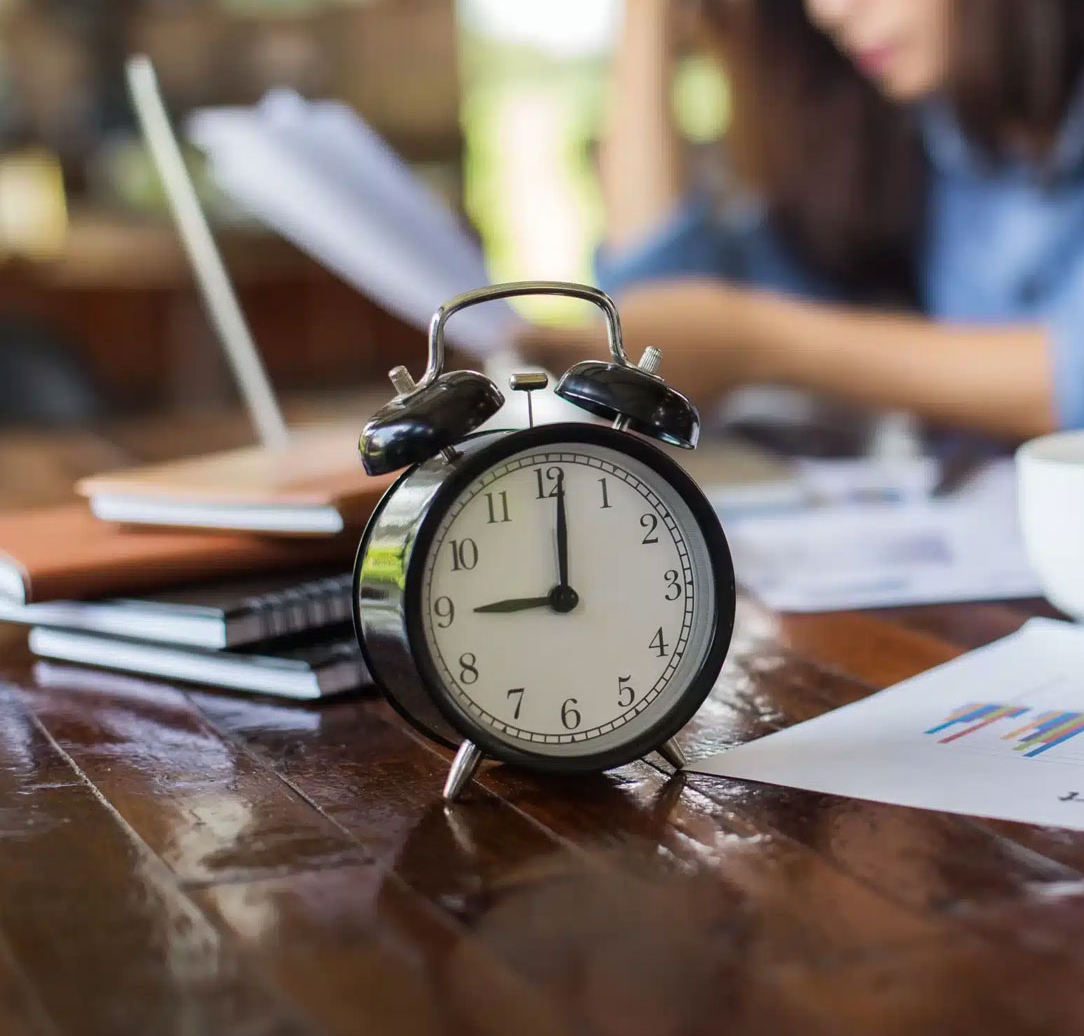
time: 9:01
